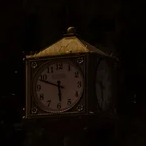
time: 5:49
